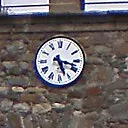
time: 5:17
